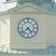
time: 4:37
